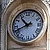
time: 10:41
